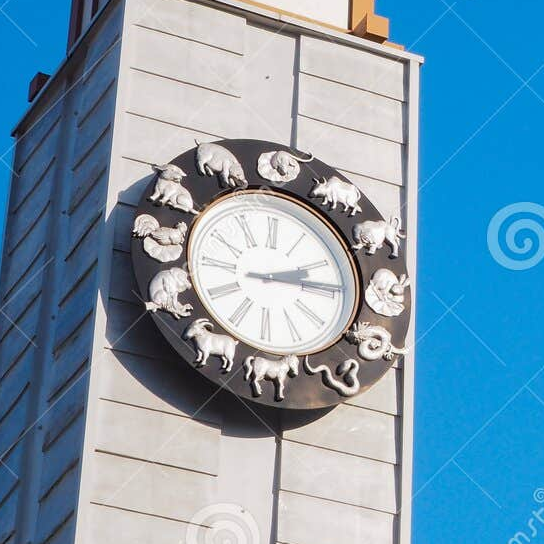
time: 2:14
